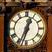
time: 12:34
